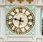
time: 9:32
